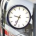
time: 9:34
